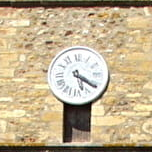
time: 5:20
